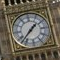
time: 1:37
